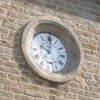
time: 10:00
